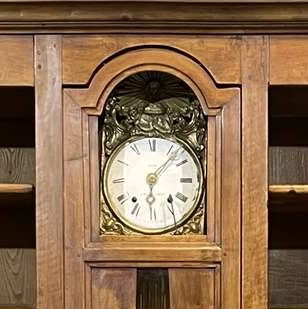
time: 6:07
